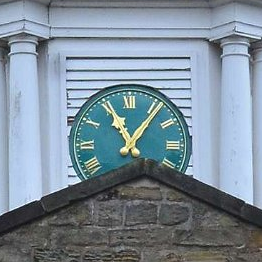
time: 11:06
